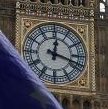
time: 12:18
